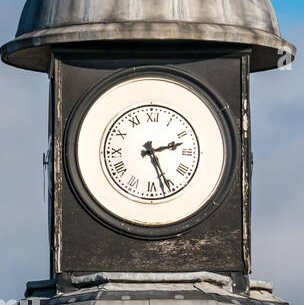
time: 2:26
